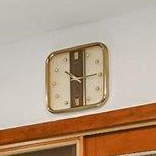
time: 10:14
